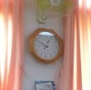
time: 12:49
